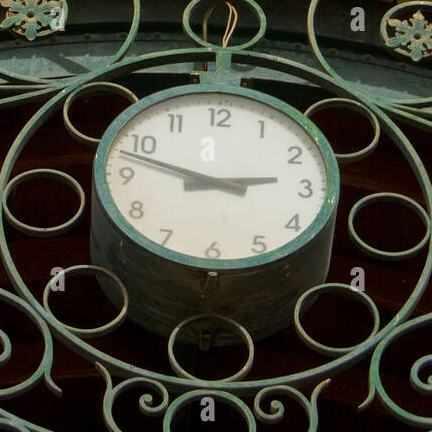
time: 2:48
